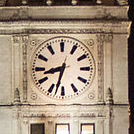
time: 8:32
